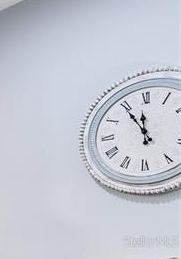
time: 11:54
